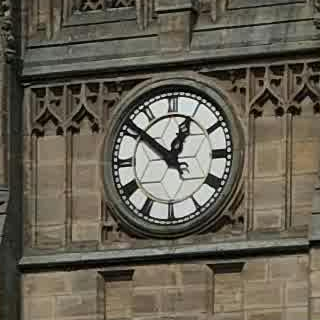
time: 12:51
